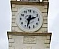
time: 2:32
